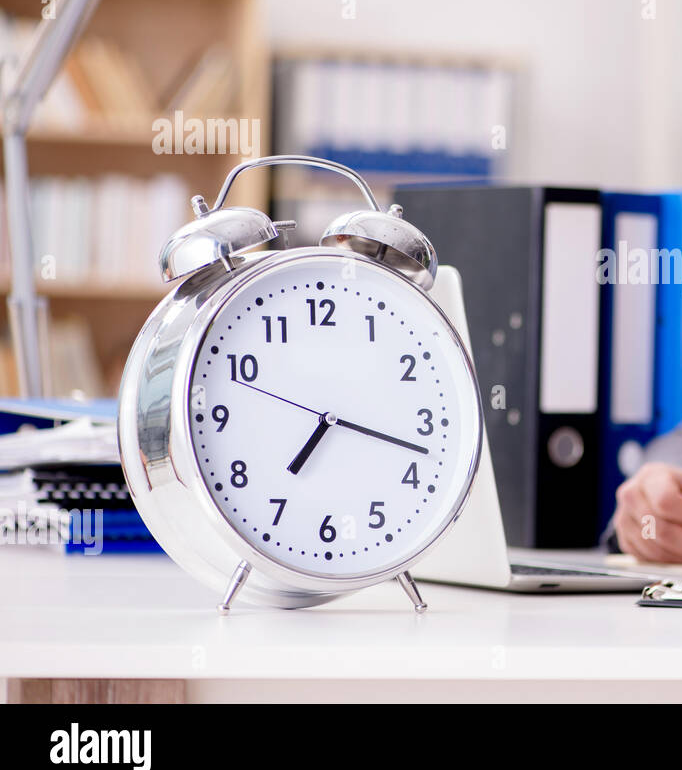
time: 7:17
